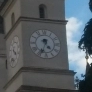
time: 4:33
